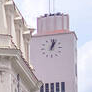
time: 1:02
